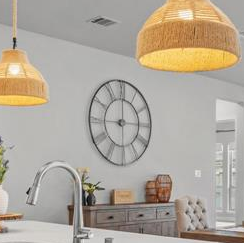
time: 12:14
